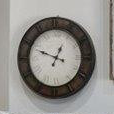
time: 12:48
